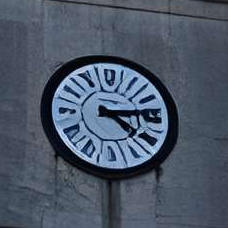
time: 4:13
